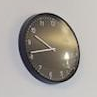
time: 9:41
